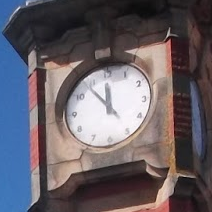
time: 11:53
